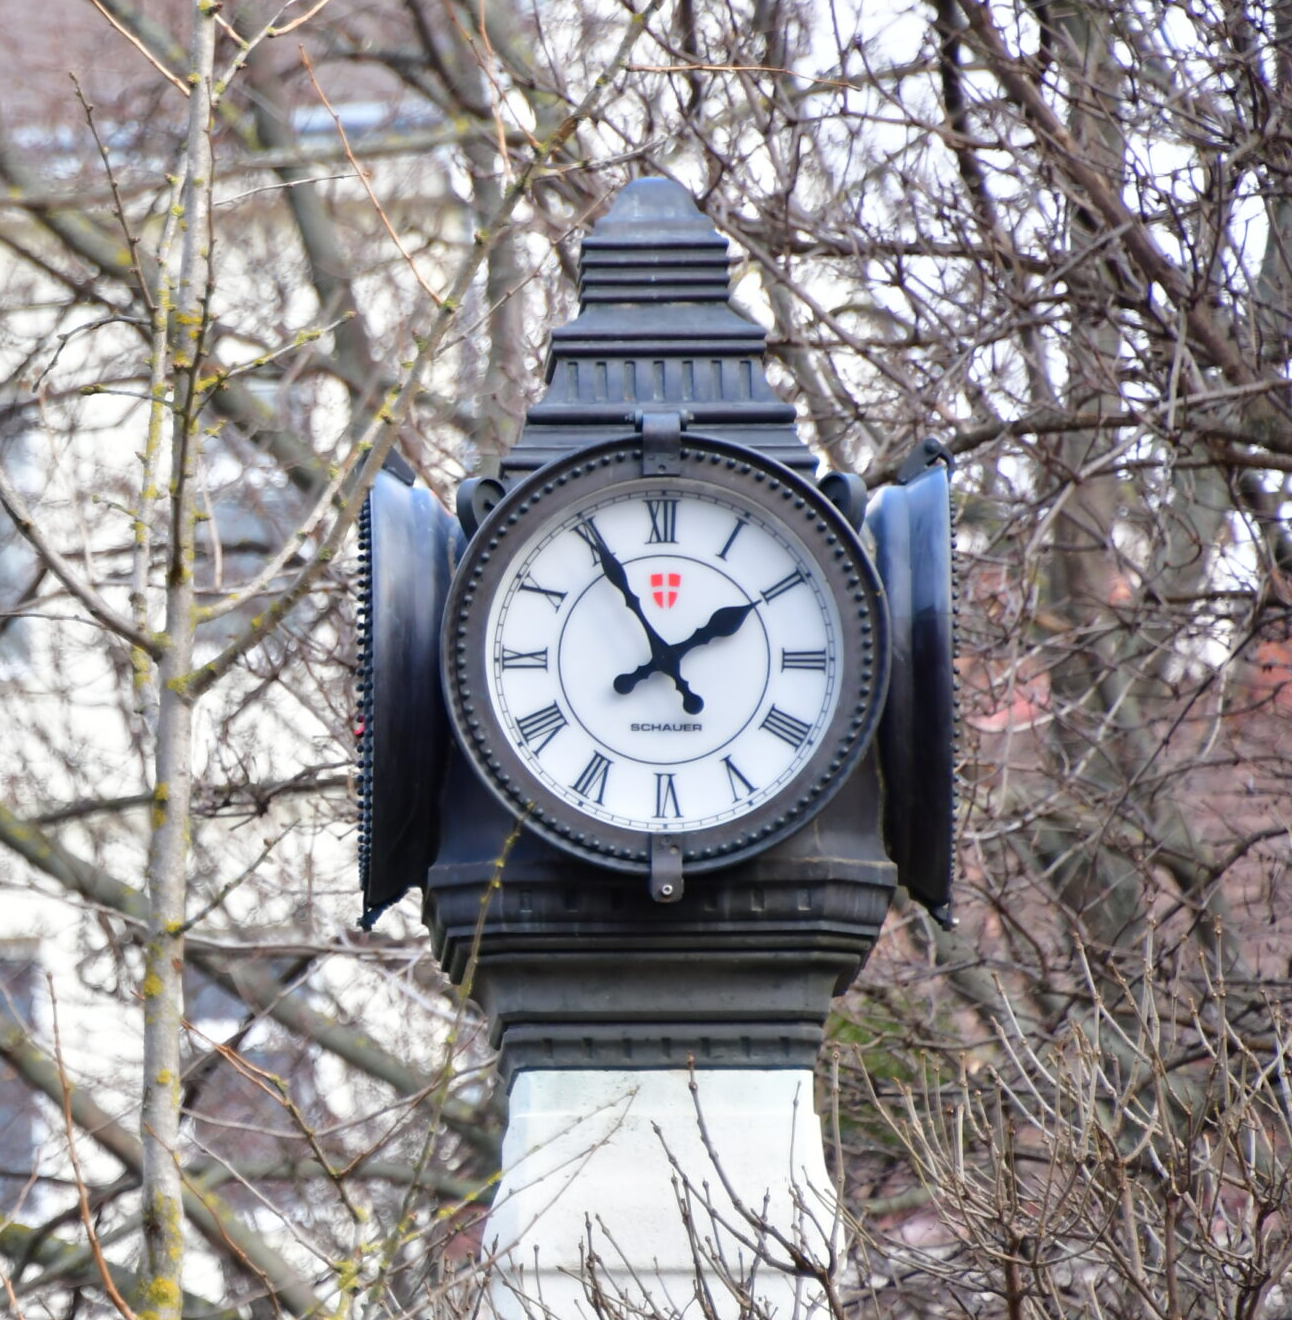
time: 1:55
